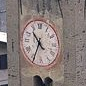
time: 10:34
